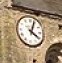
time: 4:03
